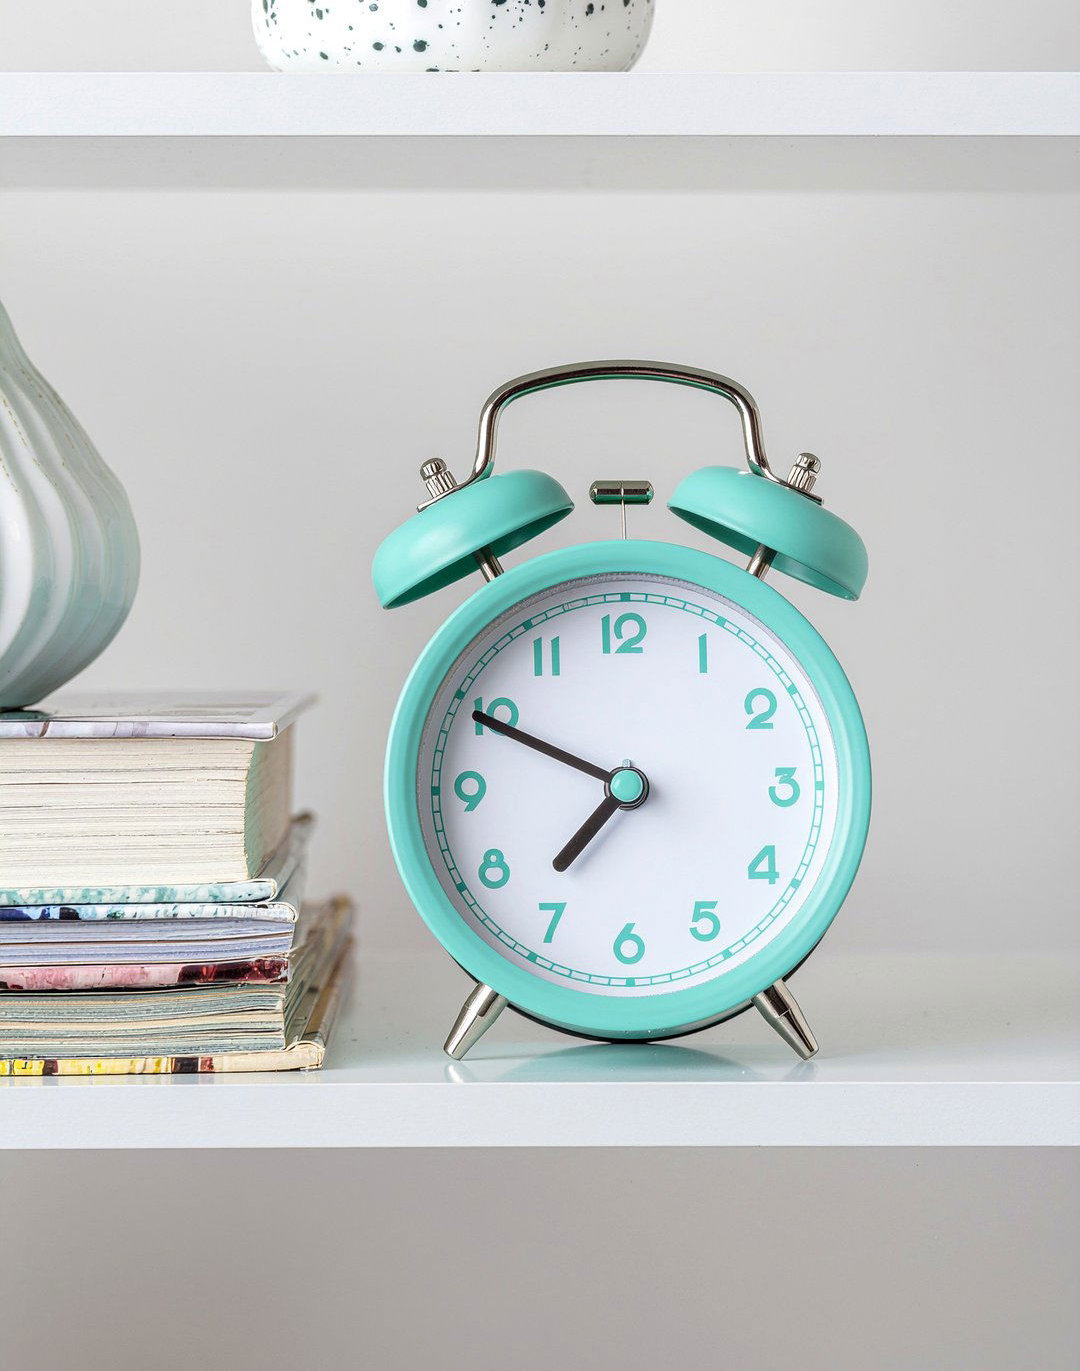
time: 7:49
